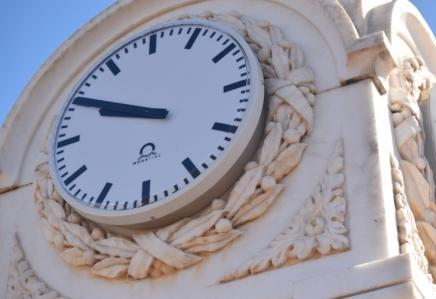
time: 9:50
